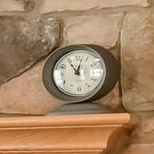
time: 11:02
